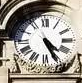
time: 4:25
